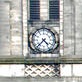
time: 4:37
